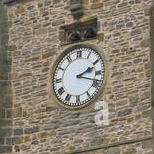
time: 2:18
